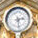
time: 2:27
